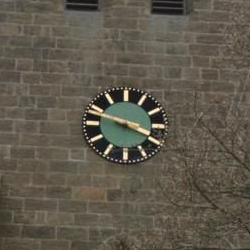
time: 3:48
